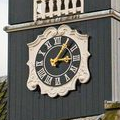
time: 3:04
